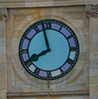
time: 7:57
